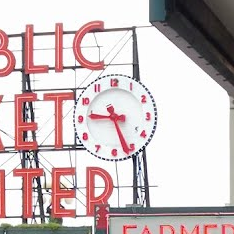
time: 9:26
